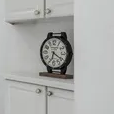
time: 6:20
